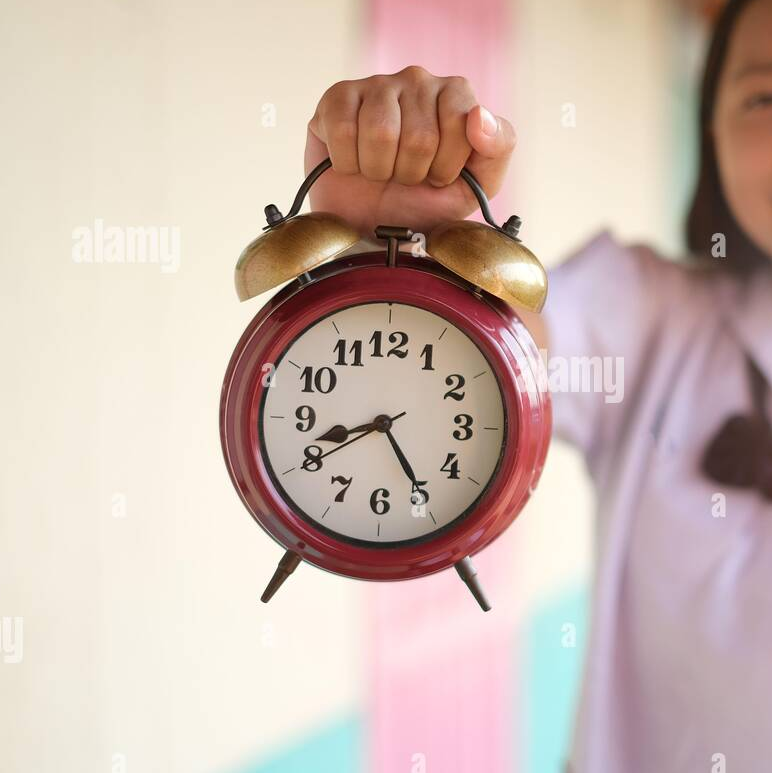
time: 8:24
